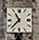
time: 10:37
